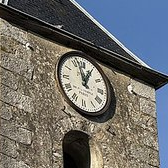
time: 12:57
